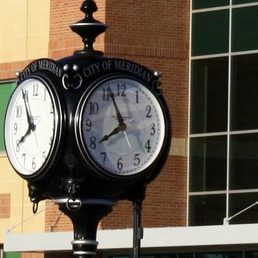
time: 7:56
